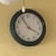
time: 3:54
